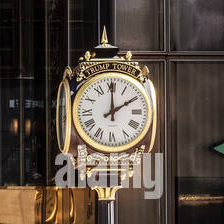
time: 2:00
